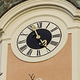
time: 4:56
